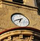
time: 6:41
